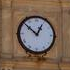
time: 12:52
